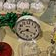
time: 8:19
